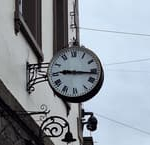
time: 9:16
